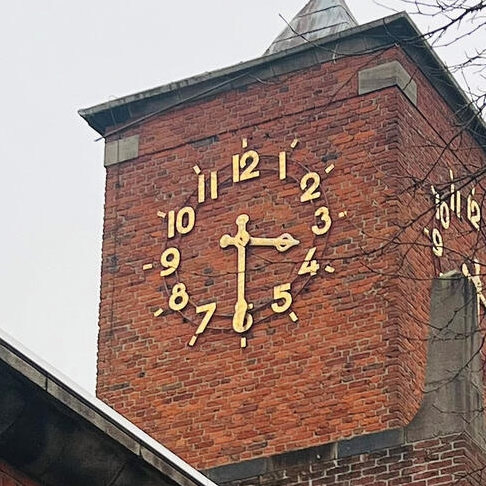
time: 3:30
